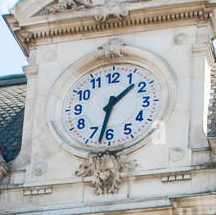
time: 1:32
